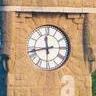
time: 11:42
